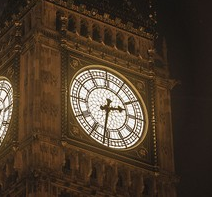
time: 2:31
